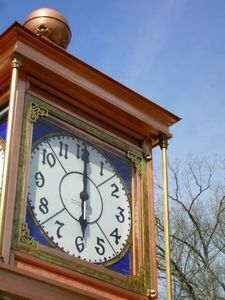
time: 6:00
